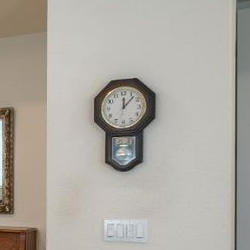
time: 12:07
